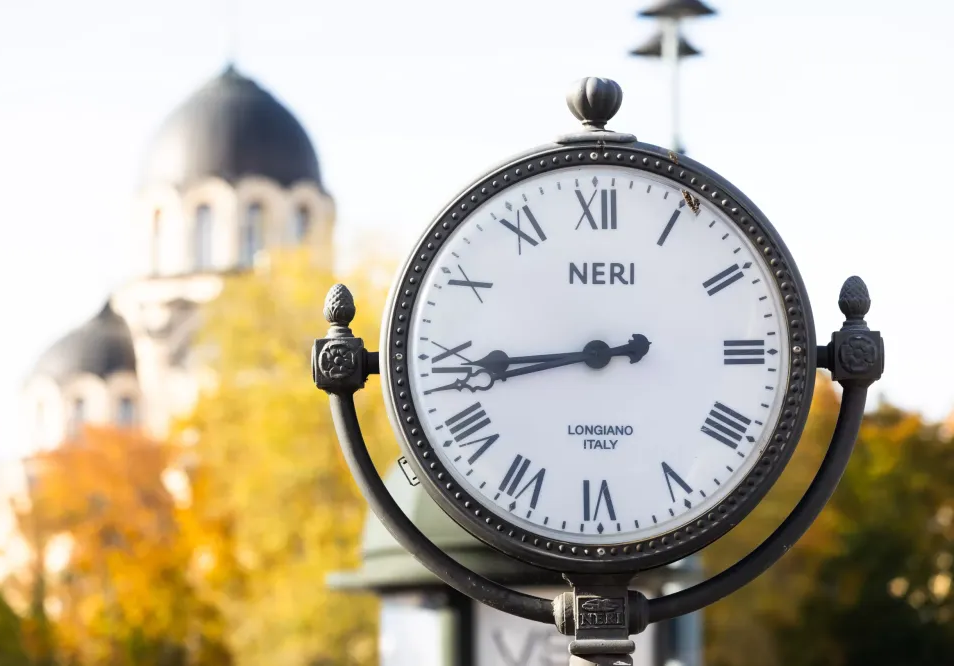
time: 8:43
